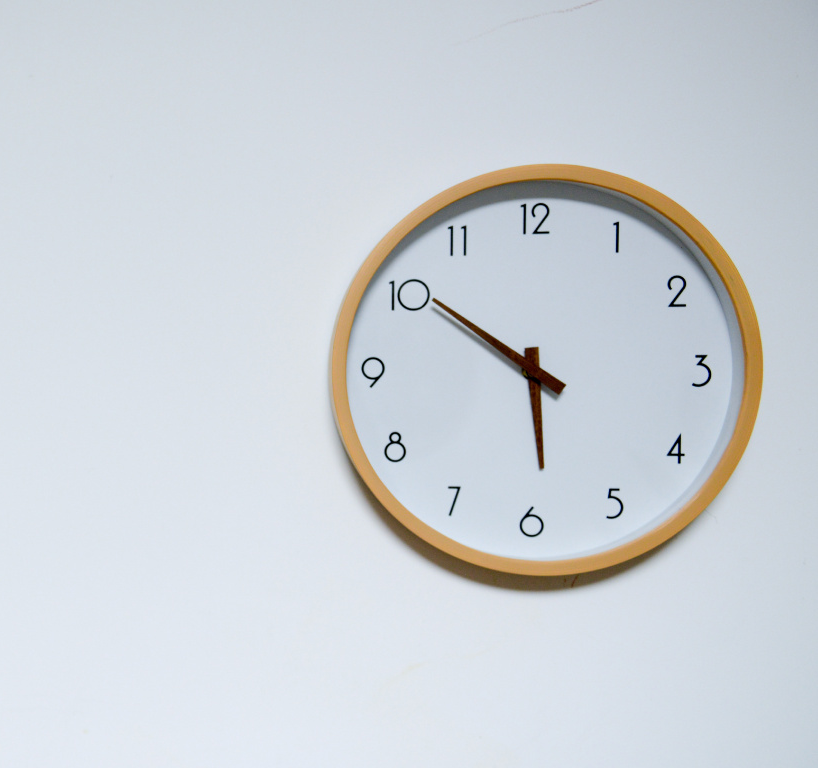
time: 5:50
